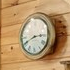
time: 2:40
